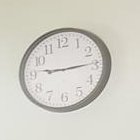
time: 9:14
